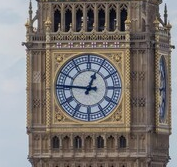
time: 12:46
